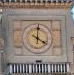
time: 4:00
